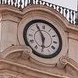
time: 5:55
